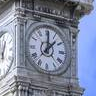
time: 12:07
